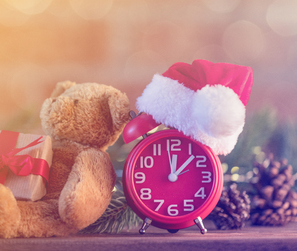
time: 12:07
